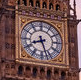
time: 8:27
